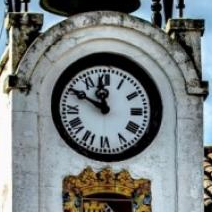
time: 11:50
